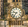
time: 9:36
